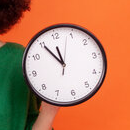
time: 11:54
